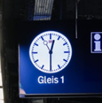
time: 12:29
